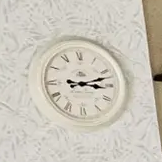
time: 3:12
